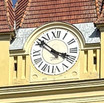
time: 3:51
